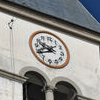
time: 9:40
